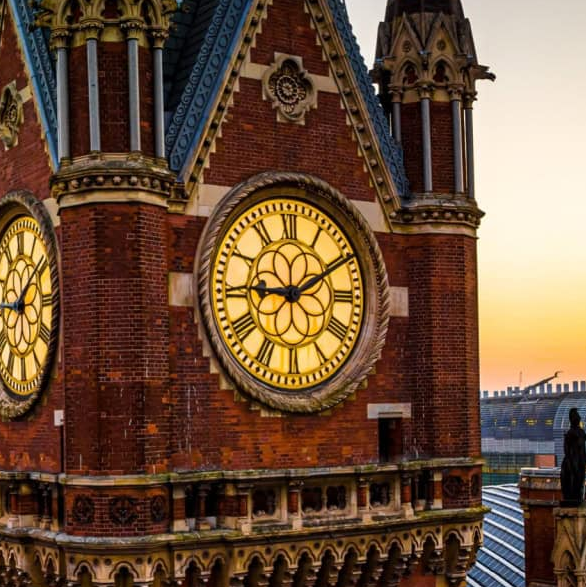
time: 9:10
